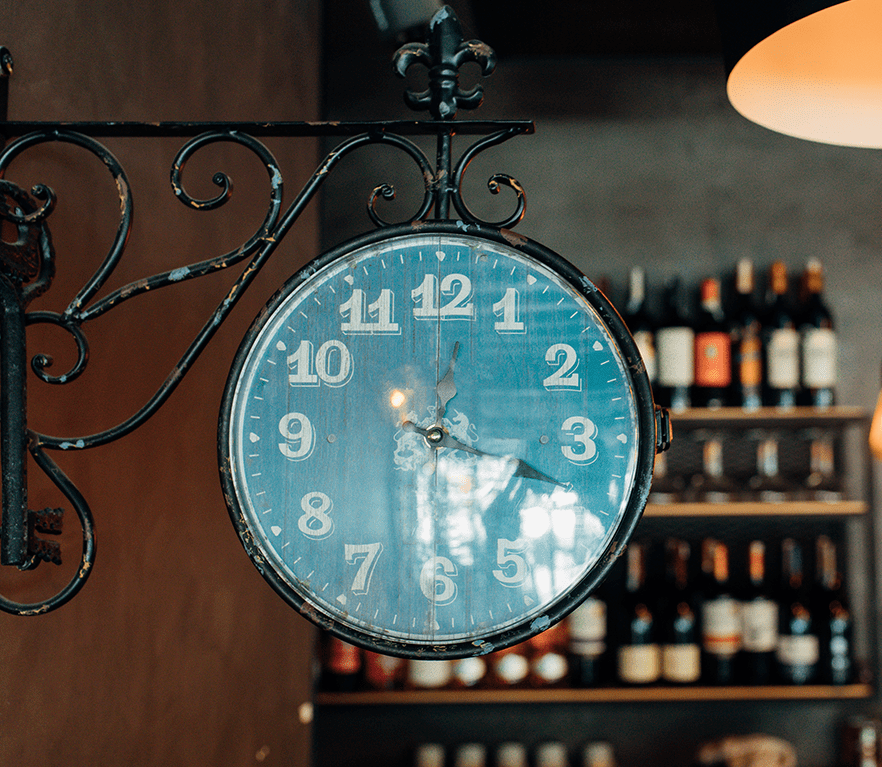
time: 3:29
